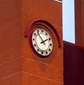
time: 1:53
